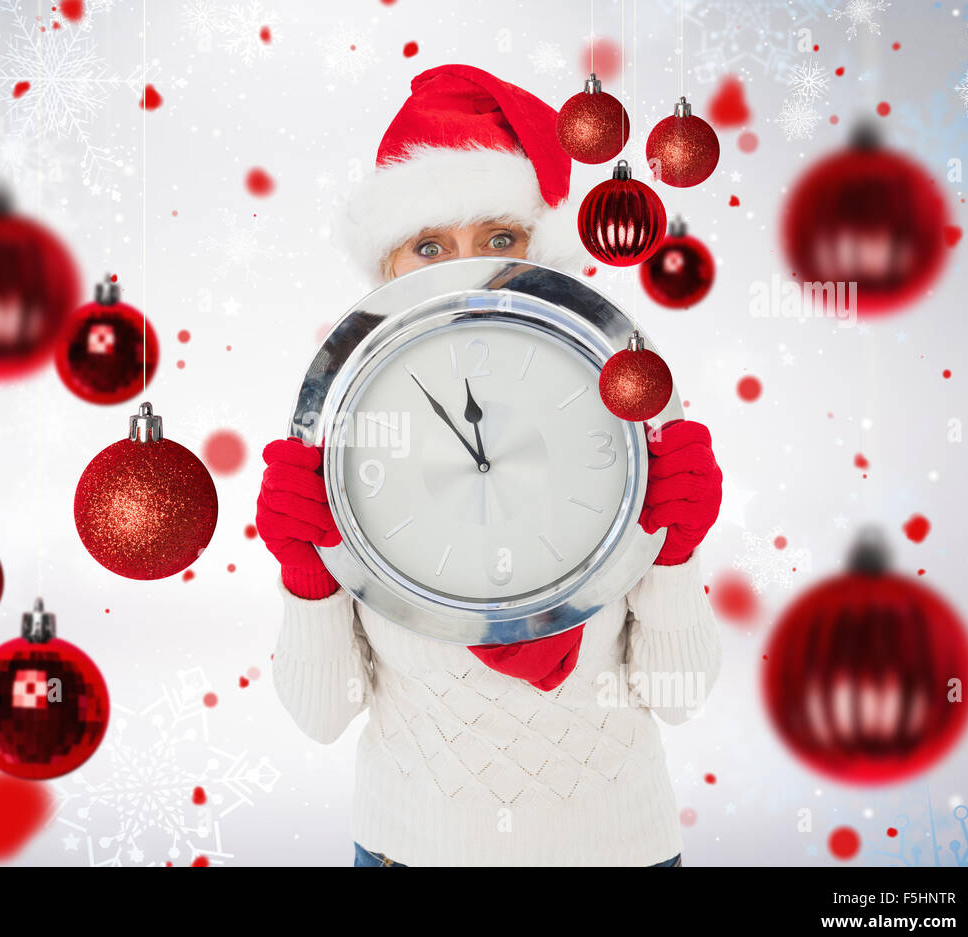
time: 11:53
